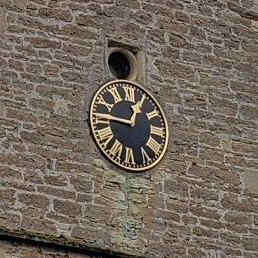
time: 12:46
